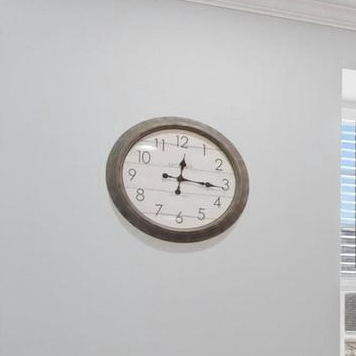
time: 12:16
